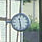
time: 11:28
